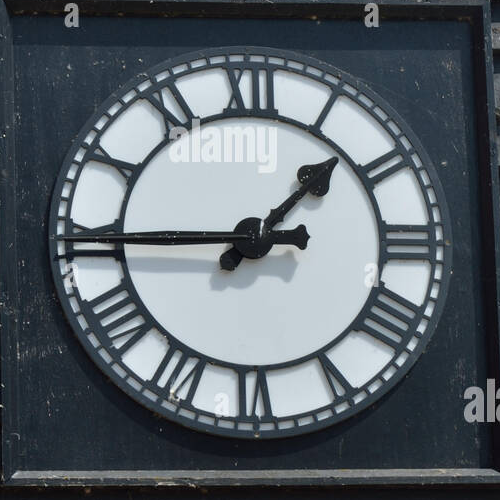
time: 1:44
